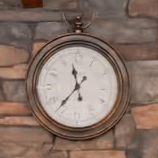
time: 11:36
